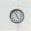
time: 11:23
